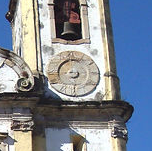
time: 8:29
